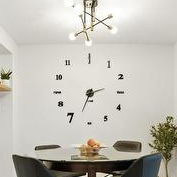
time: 2:33
